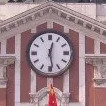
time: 12:28
